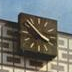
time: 3:52
